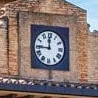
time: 11:44
